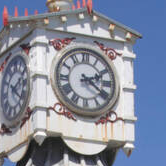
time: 2:21
